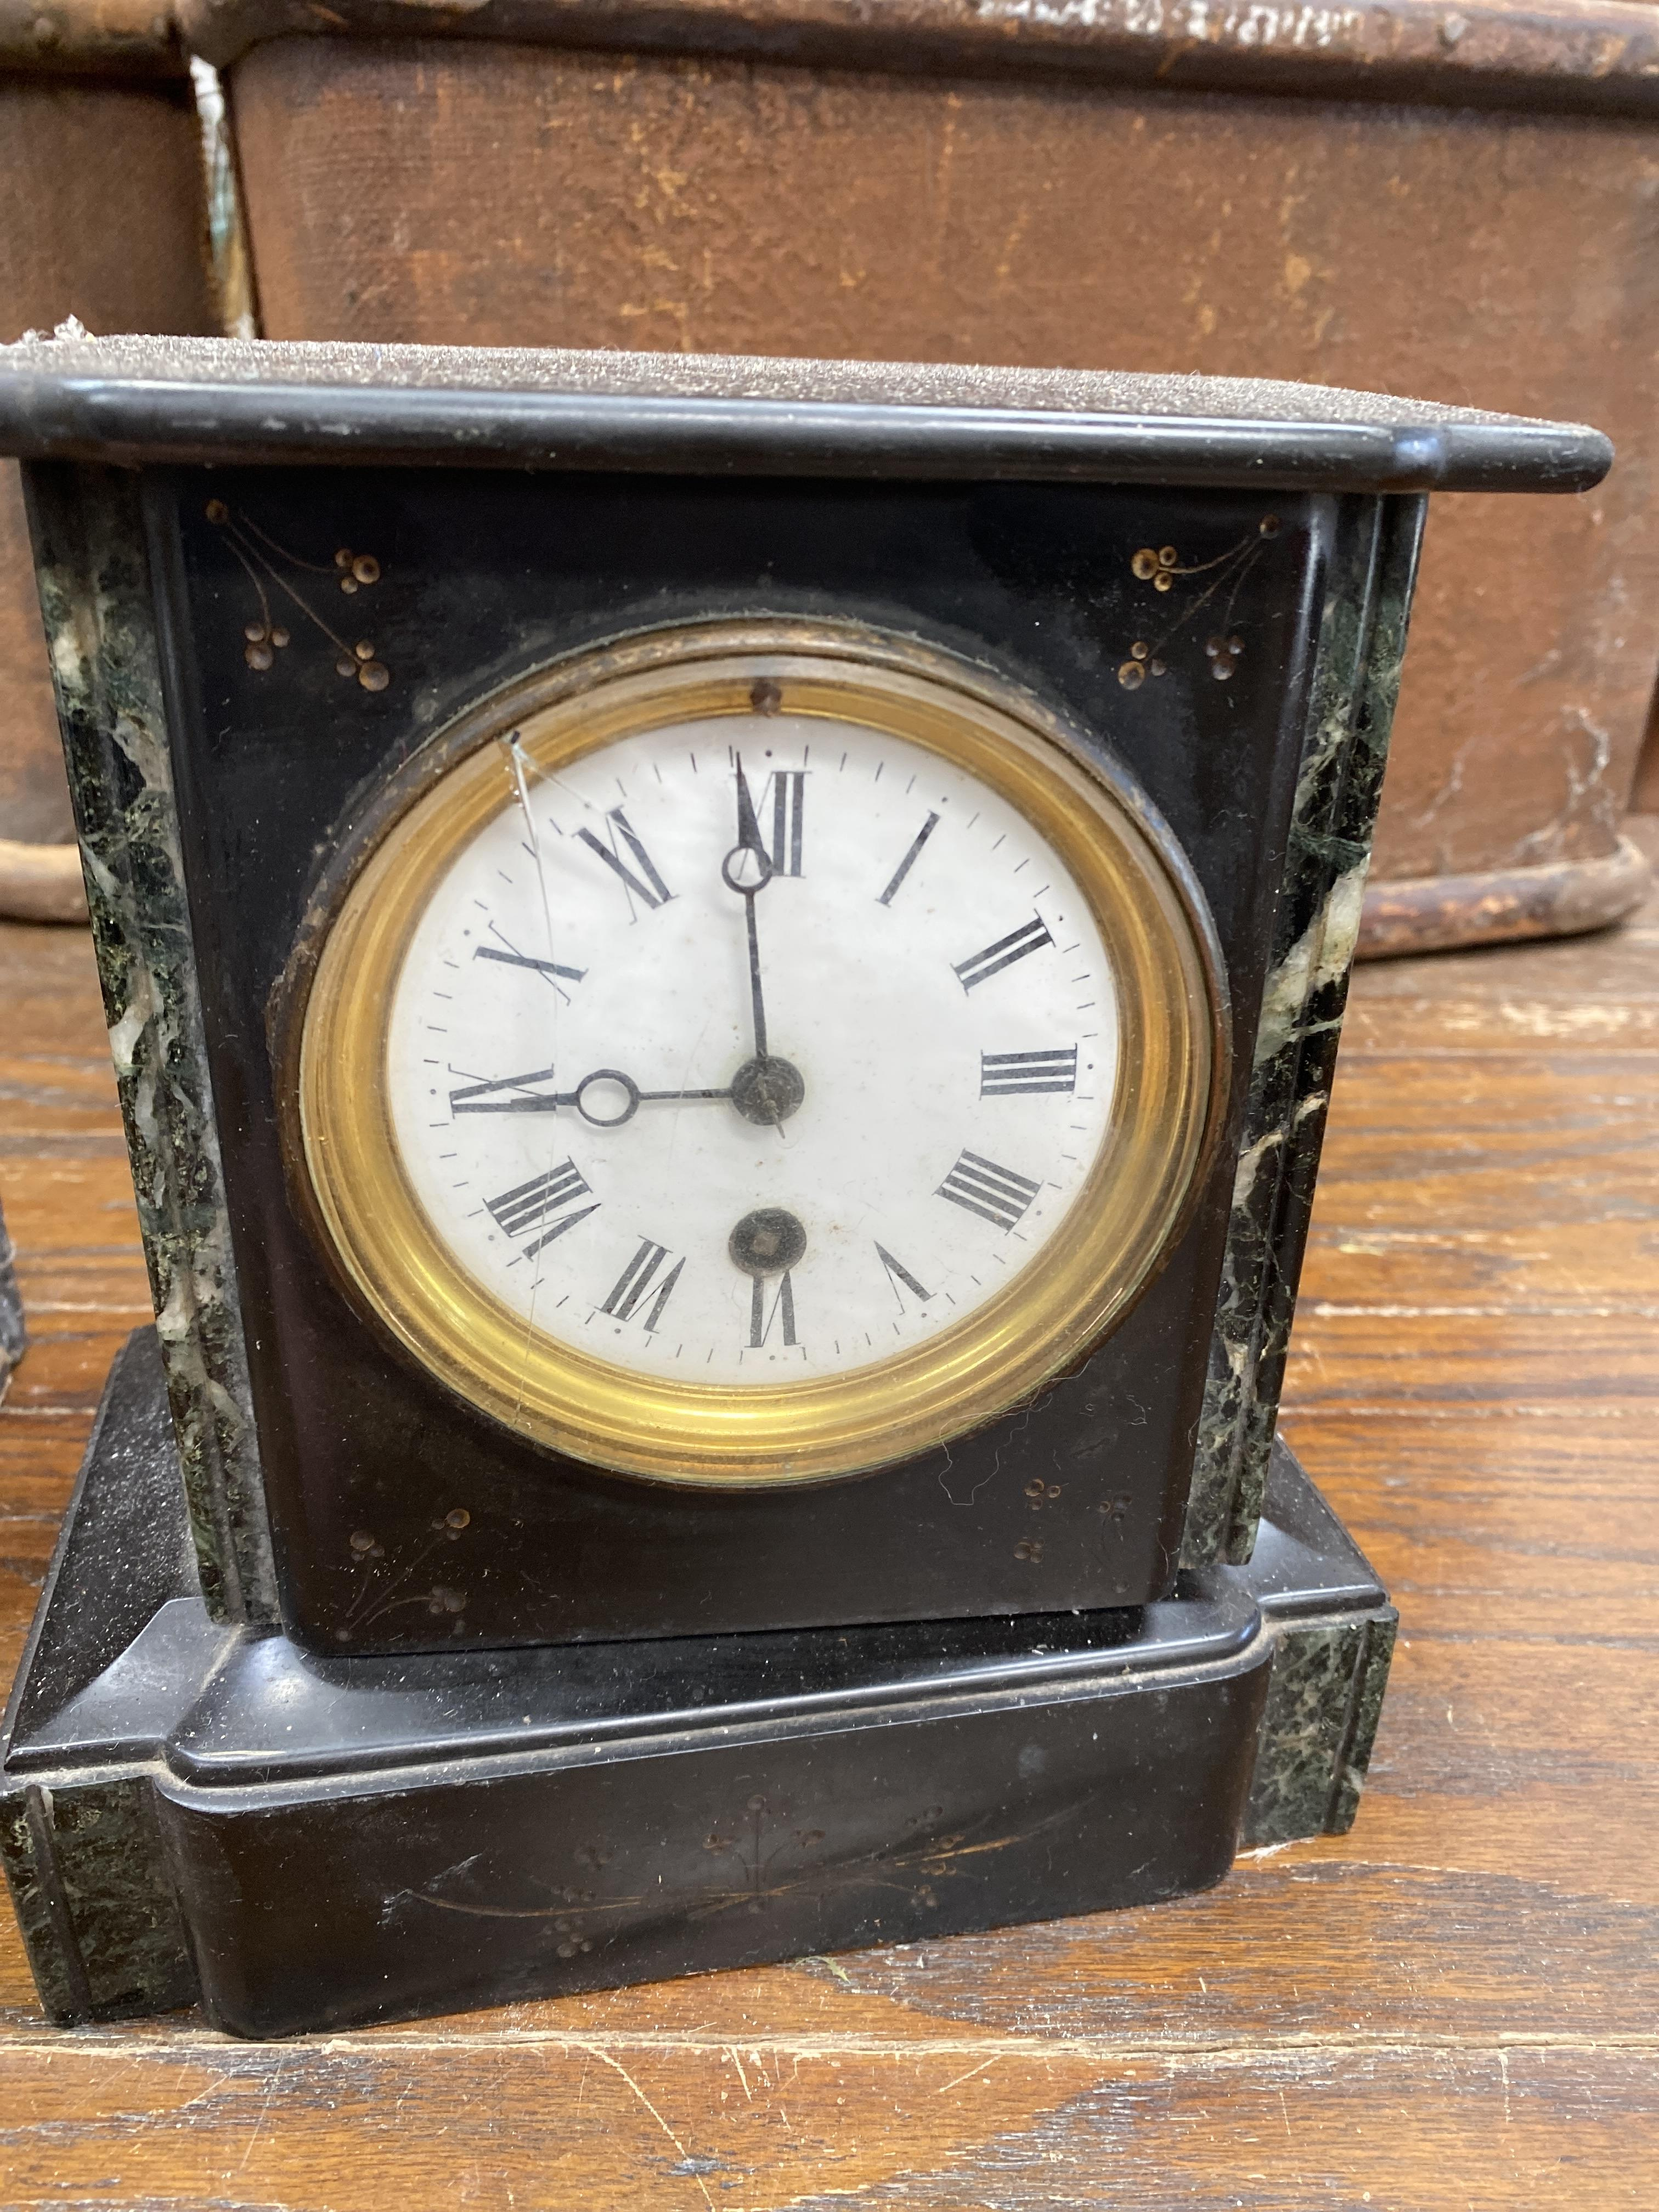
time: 8:59
